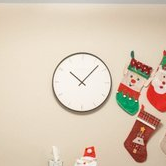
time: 10:07
